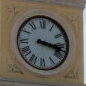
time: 3:17
